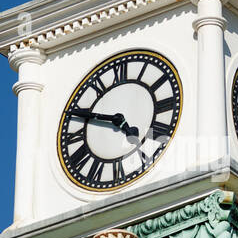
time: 4:48
